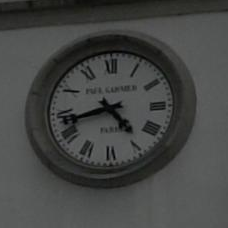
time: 4:42
